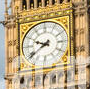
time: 9:39
